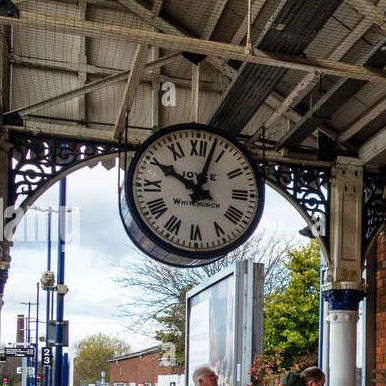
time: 10:02
